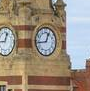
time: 12:43
